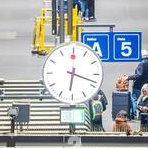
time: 6:18
